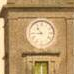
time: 10:44
